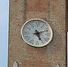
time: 5:11
